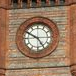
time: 4:50
